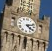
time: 4:12
